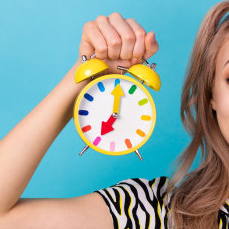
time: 7:00
